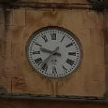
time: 9:36
